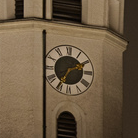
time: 2:35
